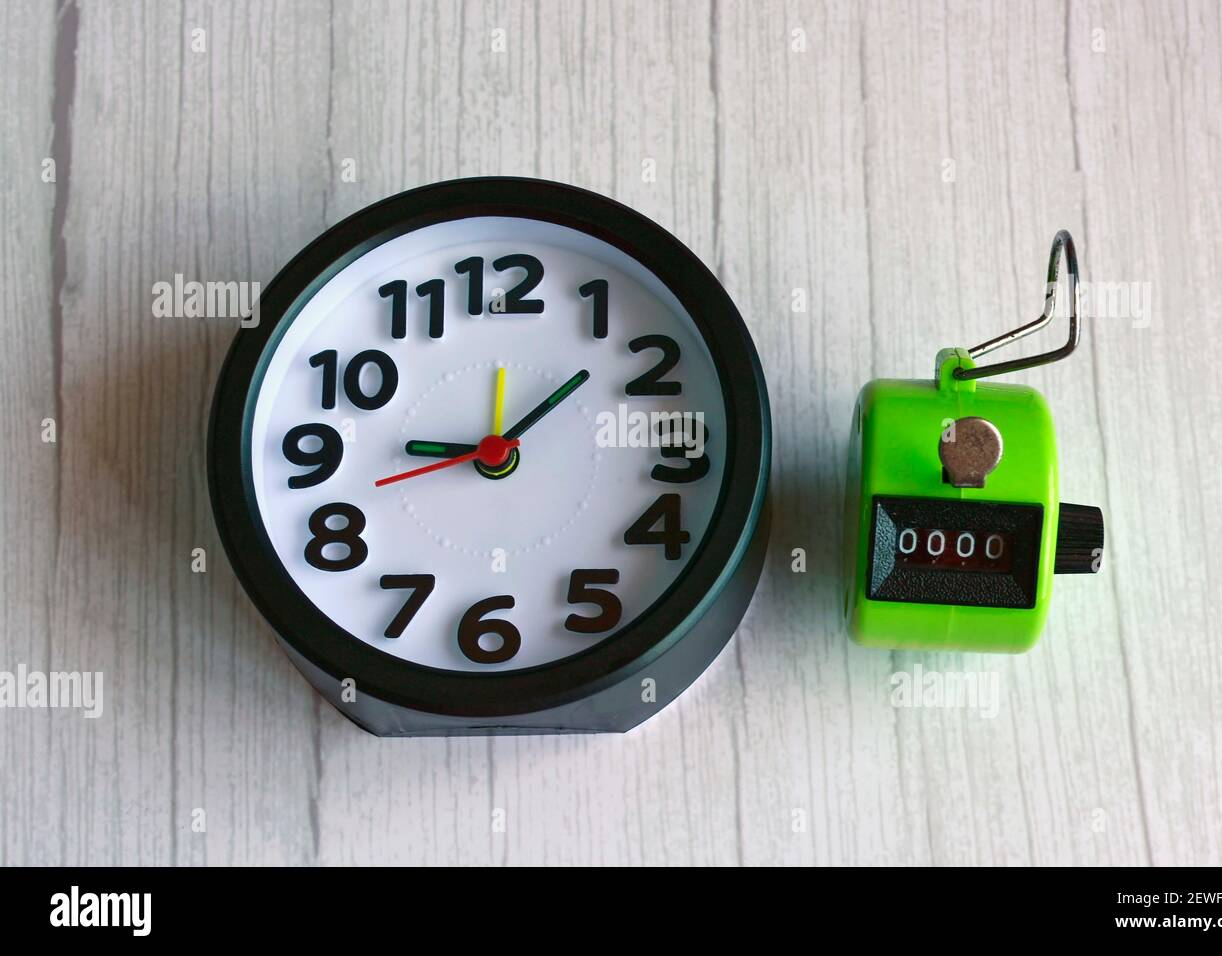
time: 9:08
